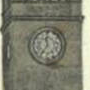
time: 11:35
